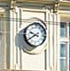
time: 9:39
